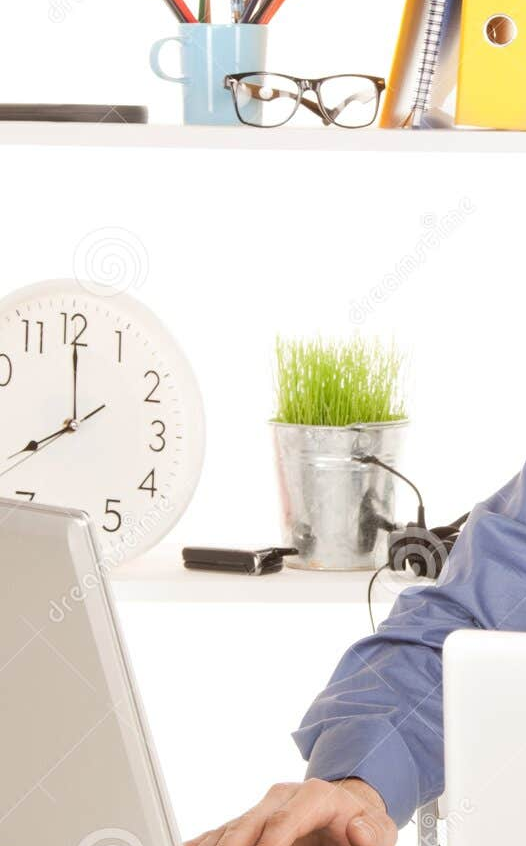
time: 7:59
